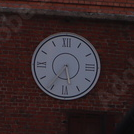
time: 5:35
